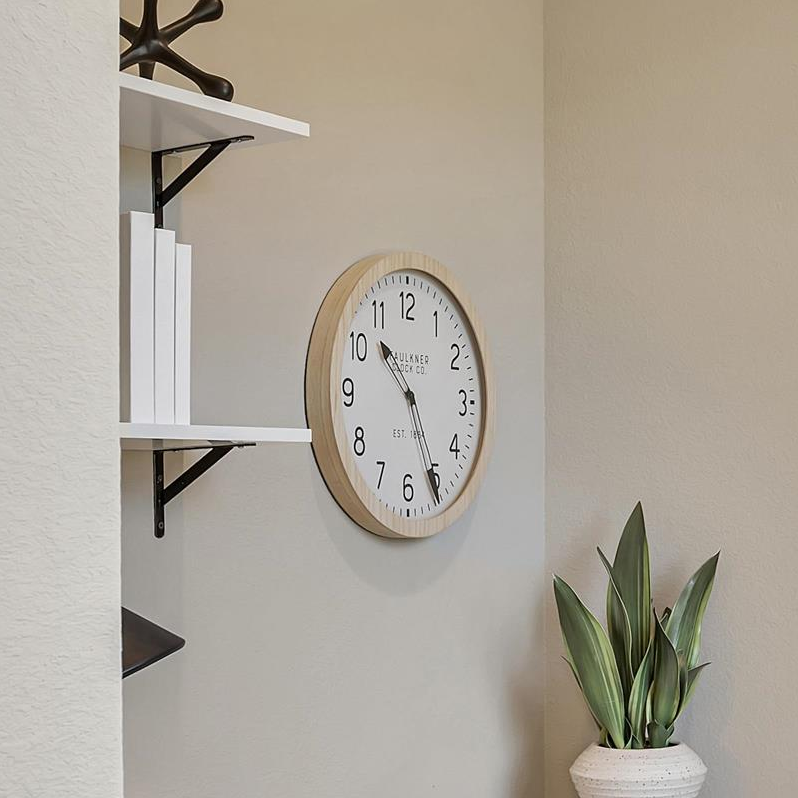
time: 10:25
